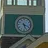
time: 5:18
